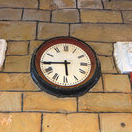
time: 5:44
